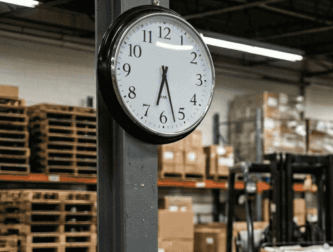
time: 6:27
